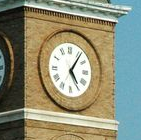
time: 5:06
